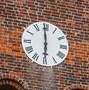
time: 5:59
